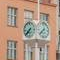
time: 7:37
